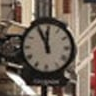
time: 11:55
